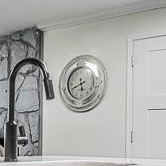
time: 5:41
